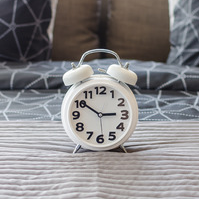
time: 2:50
